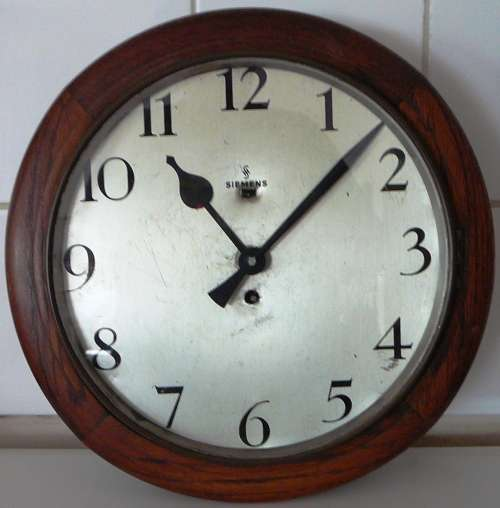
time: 11:07
